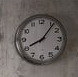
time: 8:06
